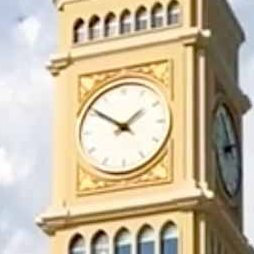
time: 1:50
